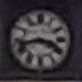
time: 3:42
